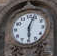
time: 6:03
